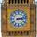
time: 3:12
